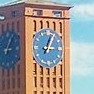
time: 3:04
